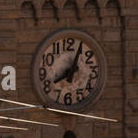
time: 8:04
